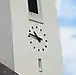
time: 10:47
